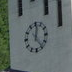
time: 12:23
